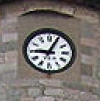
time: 9:04
